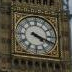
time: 4:18
